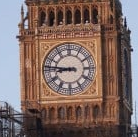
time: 8:46
